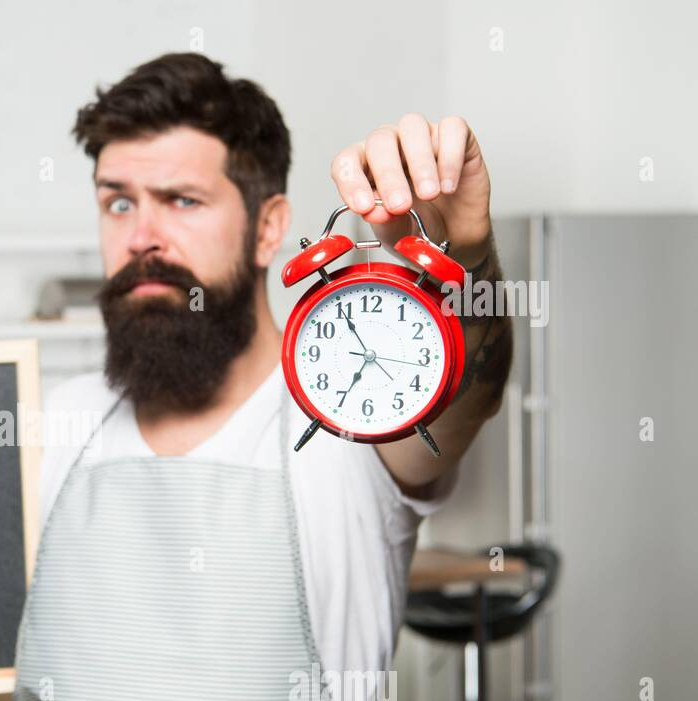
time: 6:54
